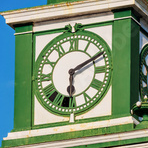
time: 6:10
